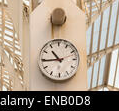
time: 10:44
